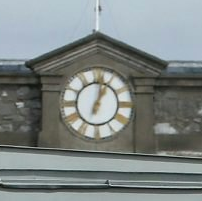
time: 1:02
